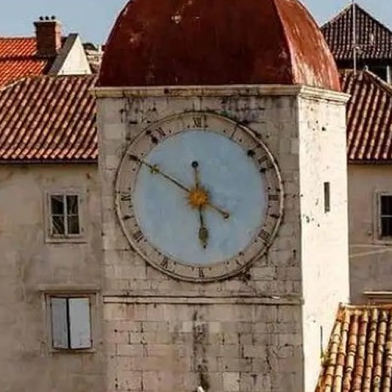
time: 5:50
